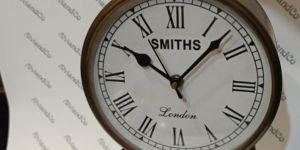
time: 10:07
